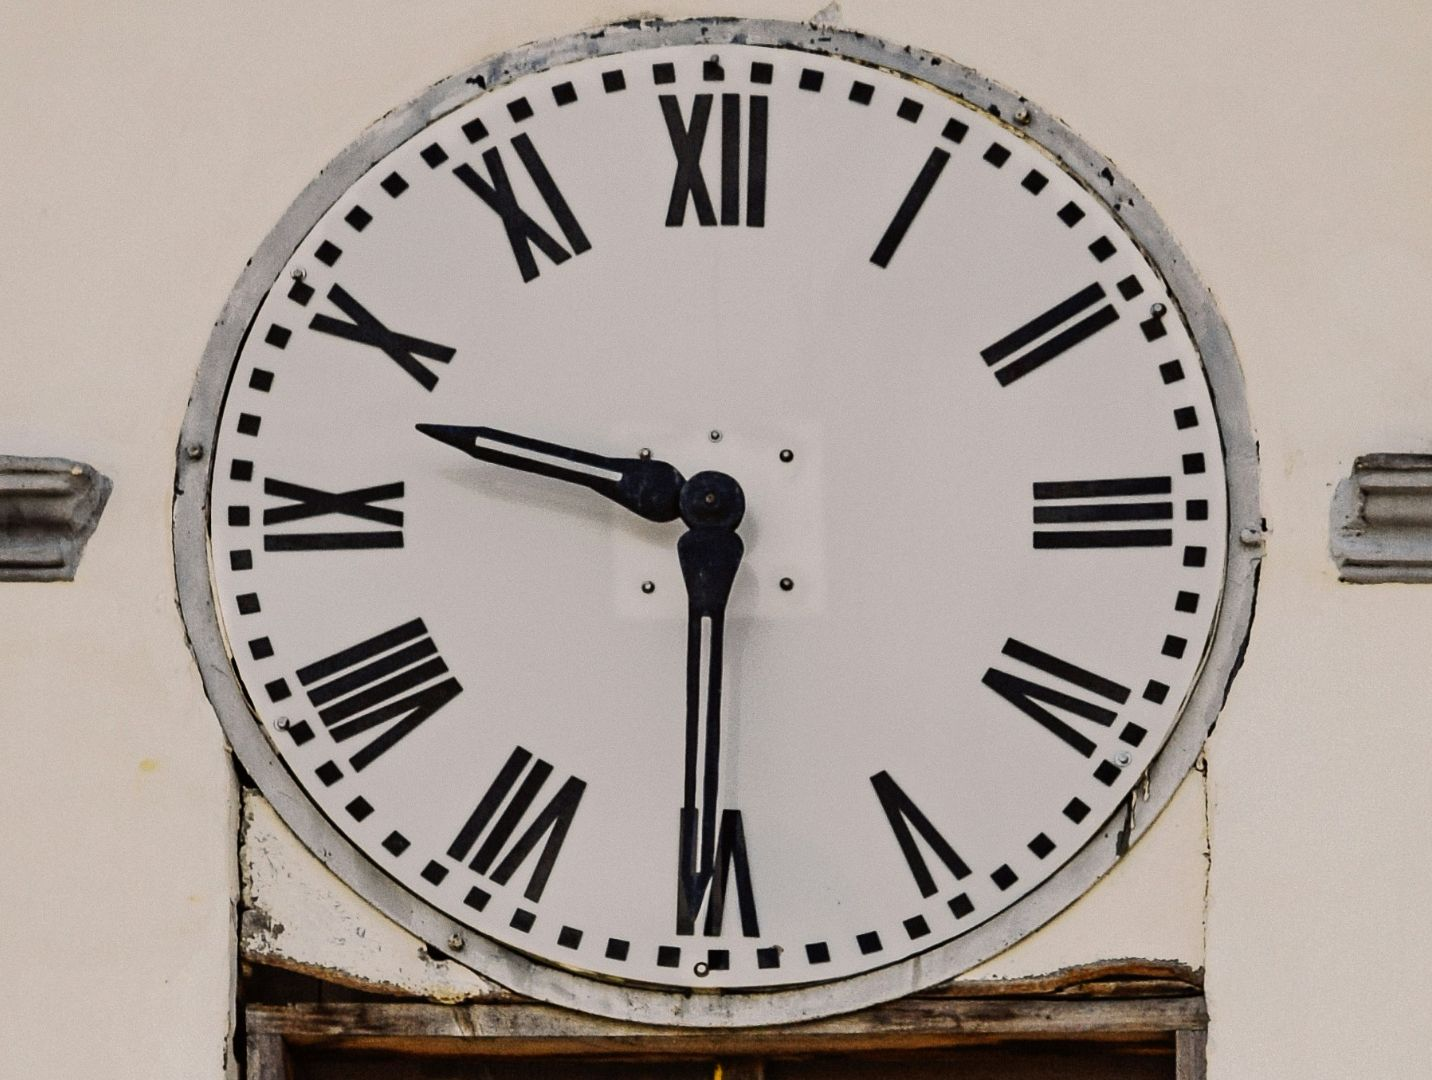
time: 9:30
